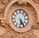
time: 5:24
